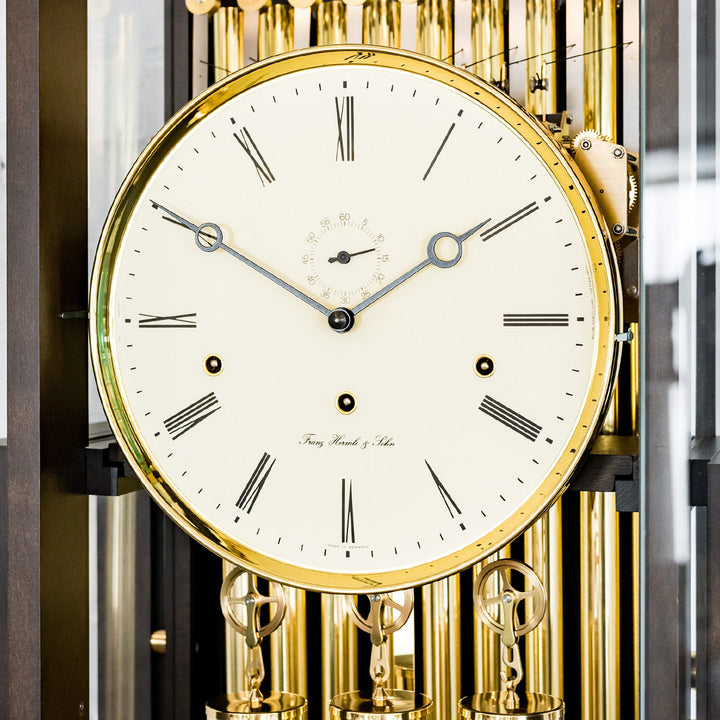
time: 1:50
